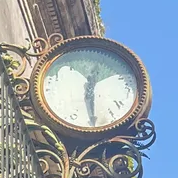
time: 12:29
